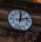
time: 12:12
